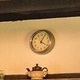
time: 4:04
